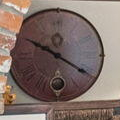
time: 10:20
